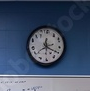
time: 12:19
